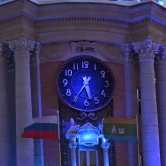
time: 5:35
